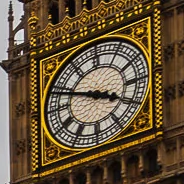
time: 3:48
